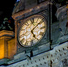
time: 5:08
